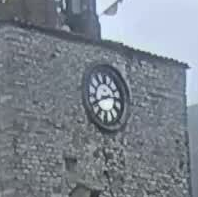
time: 2:40
